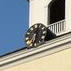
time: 12:32
